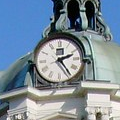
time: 2:24
